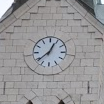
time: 12:38
